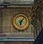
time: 6:06
